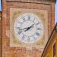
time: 1:42
